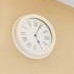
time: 5:03
